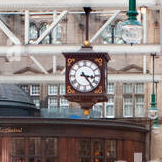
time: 3:23
